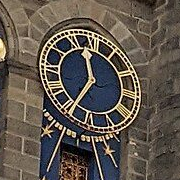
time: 11:34
